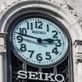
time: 2:47
